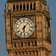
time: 6:06
